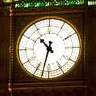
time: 10:32
